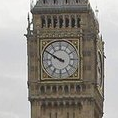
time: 9:49
